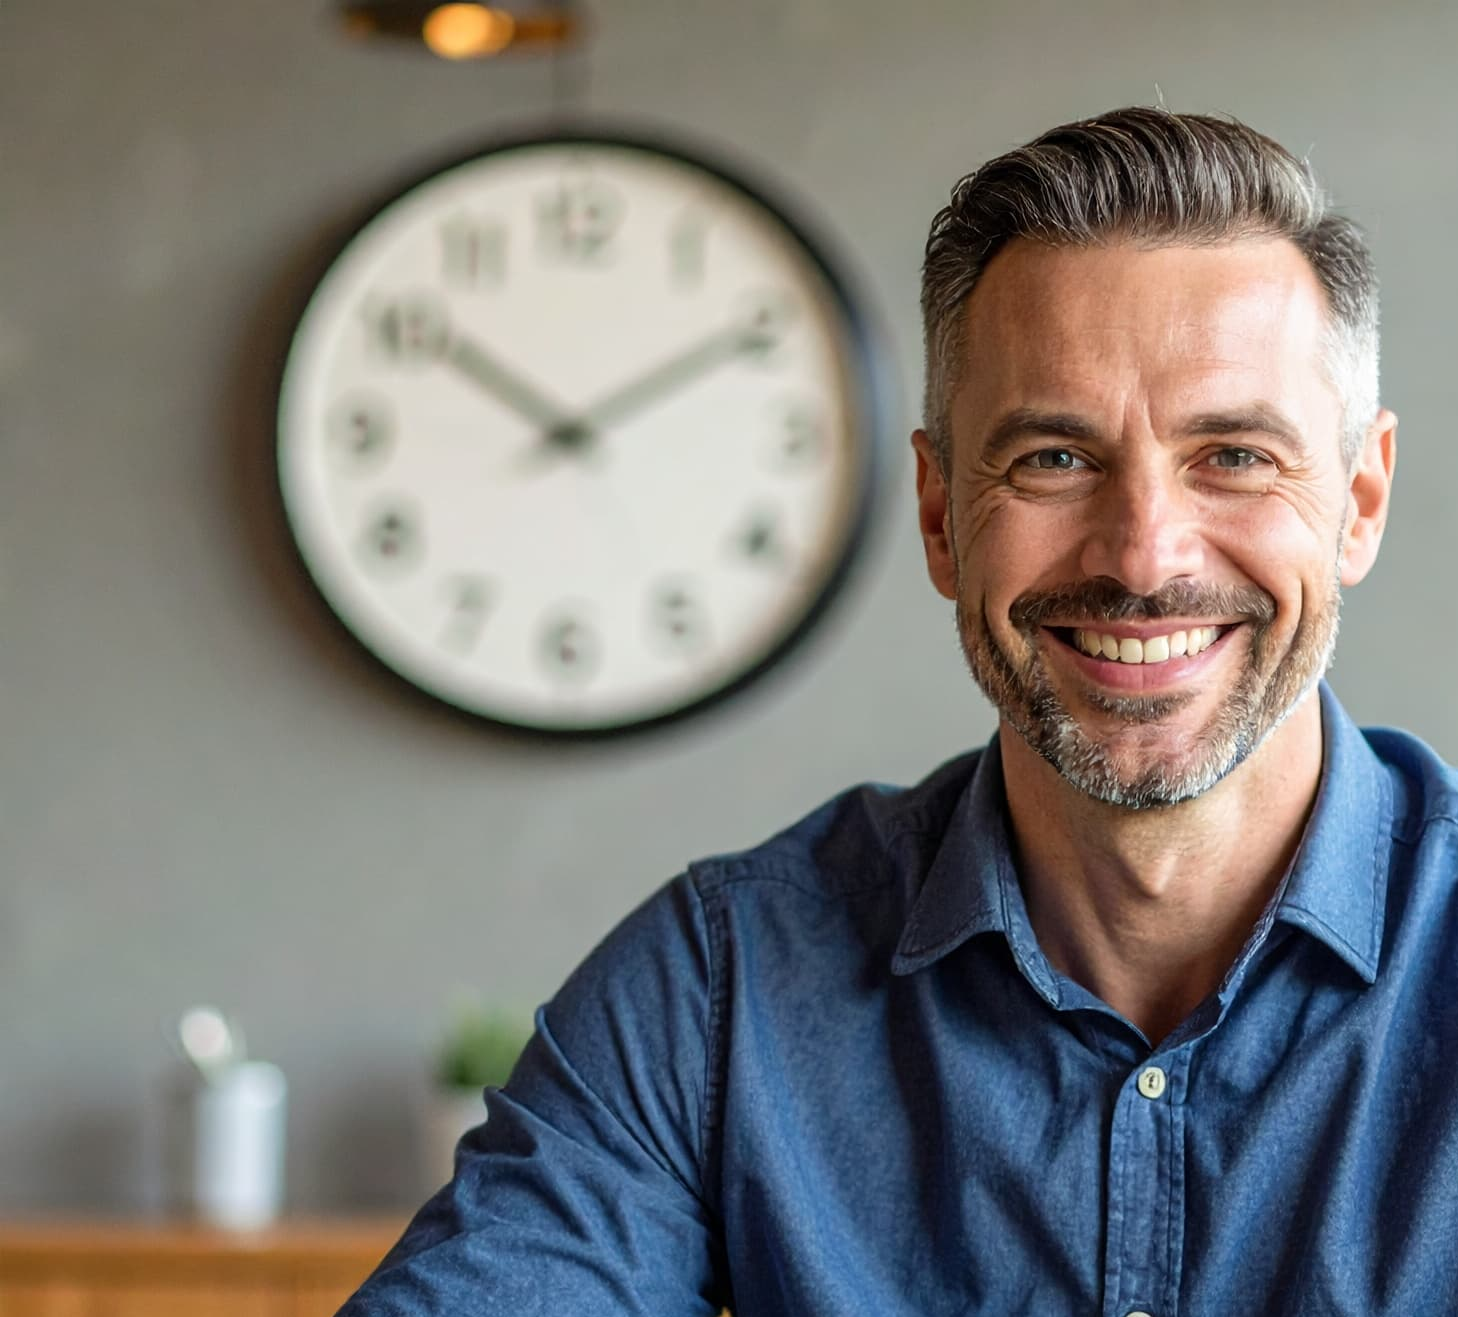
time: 10:09
